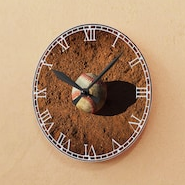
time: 10:07
